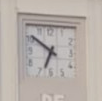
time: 6:50
